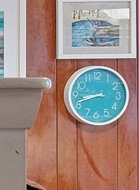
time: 8:41
